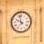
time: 9:57
